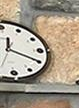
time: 12:19
